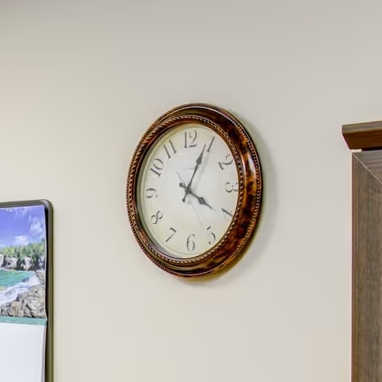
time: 4:04
